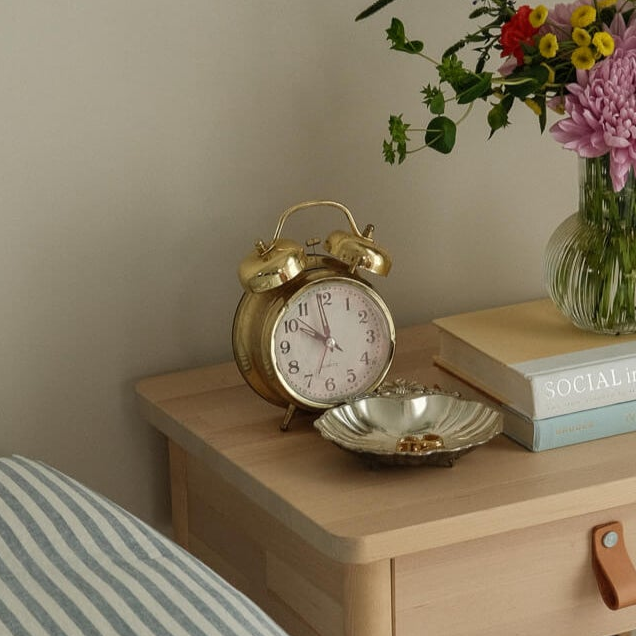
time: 9:58
